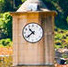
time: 10:38
